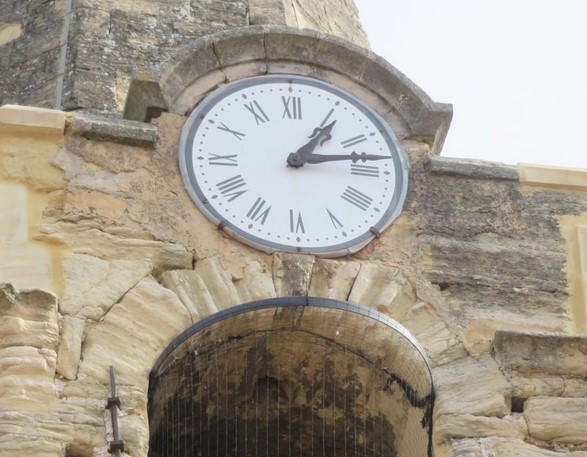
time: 1:13
